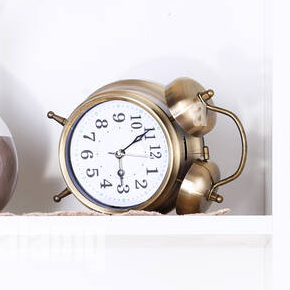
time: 6:08
